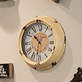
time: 10:31
